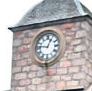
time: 12:46
